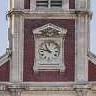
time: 10:47
